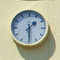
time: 1:29
